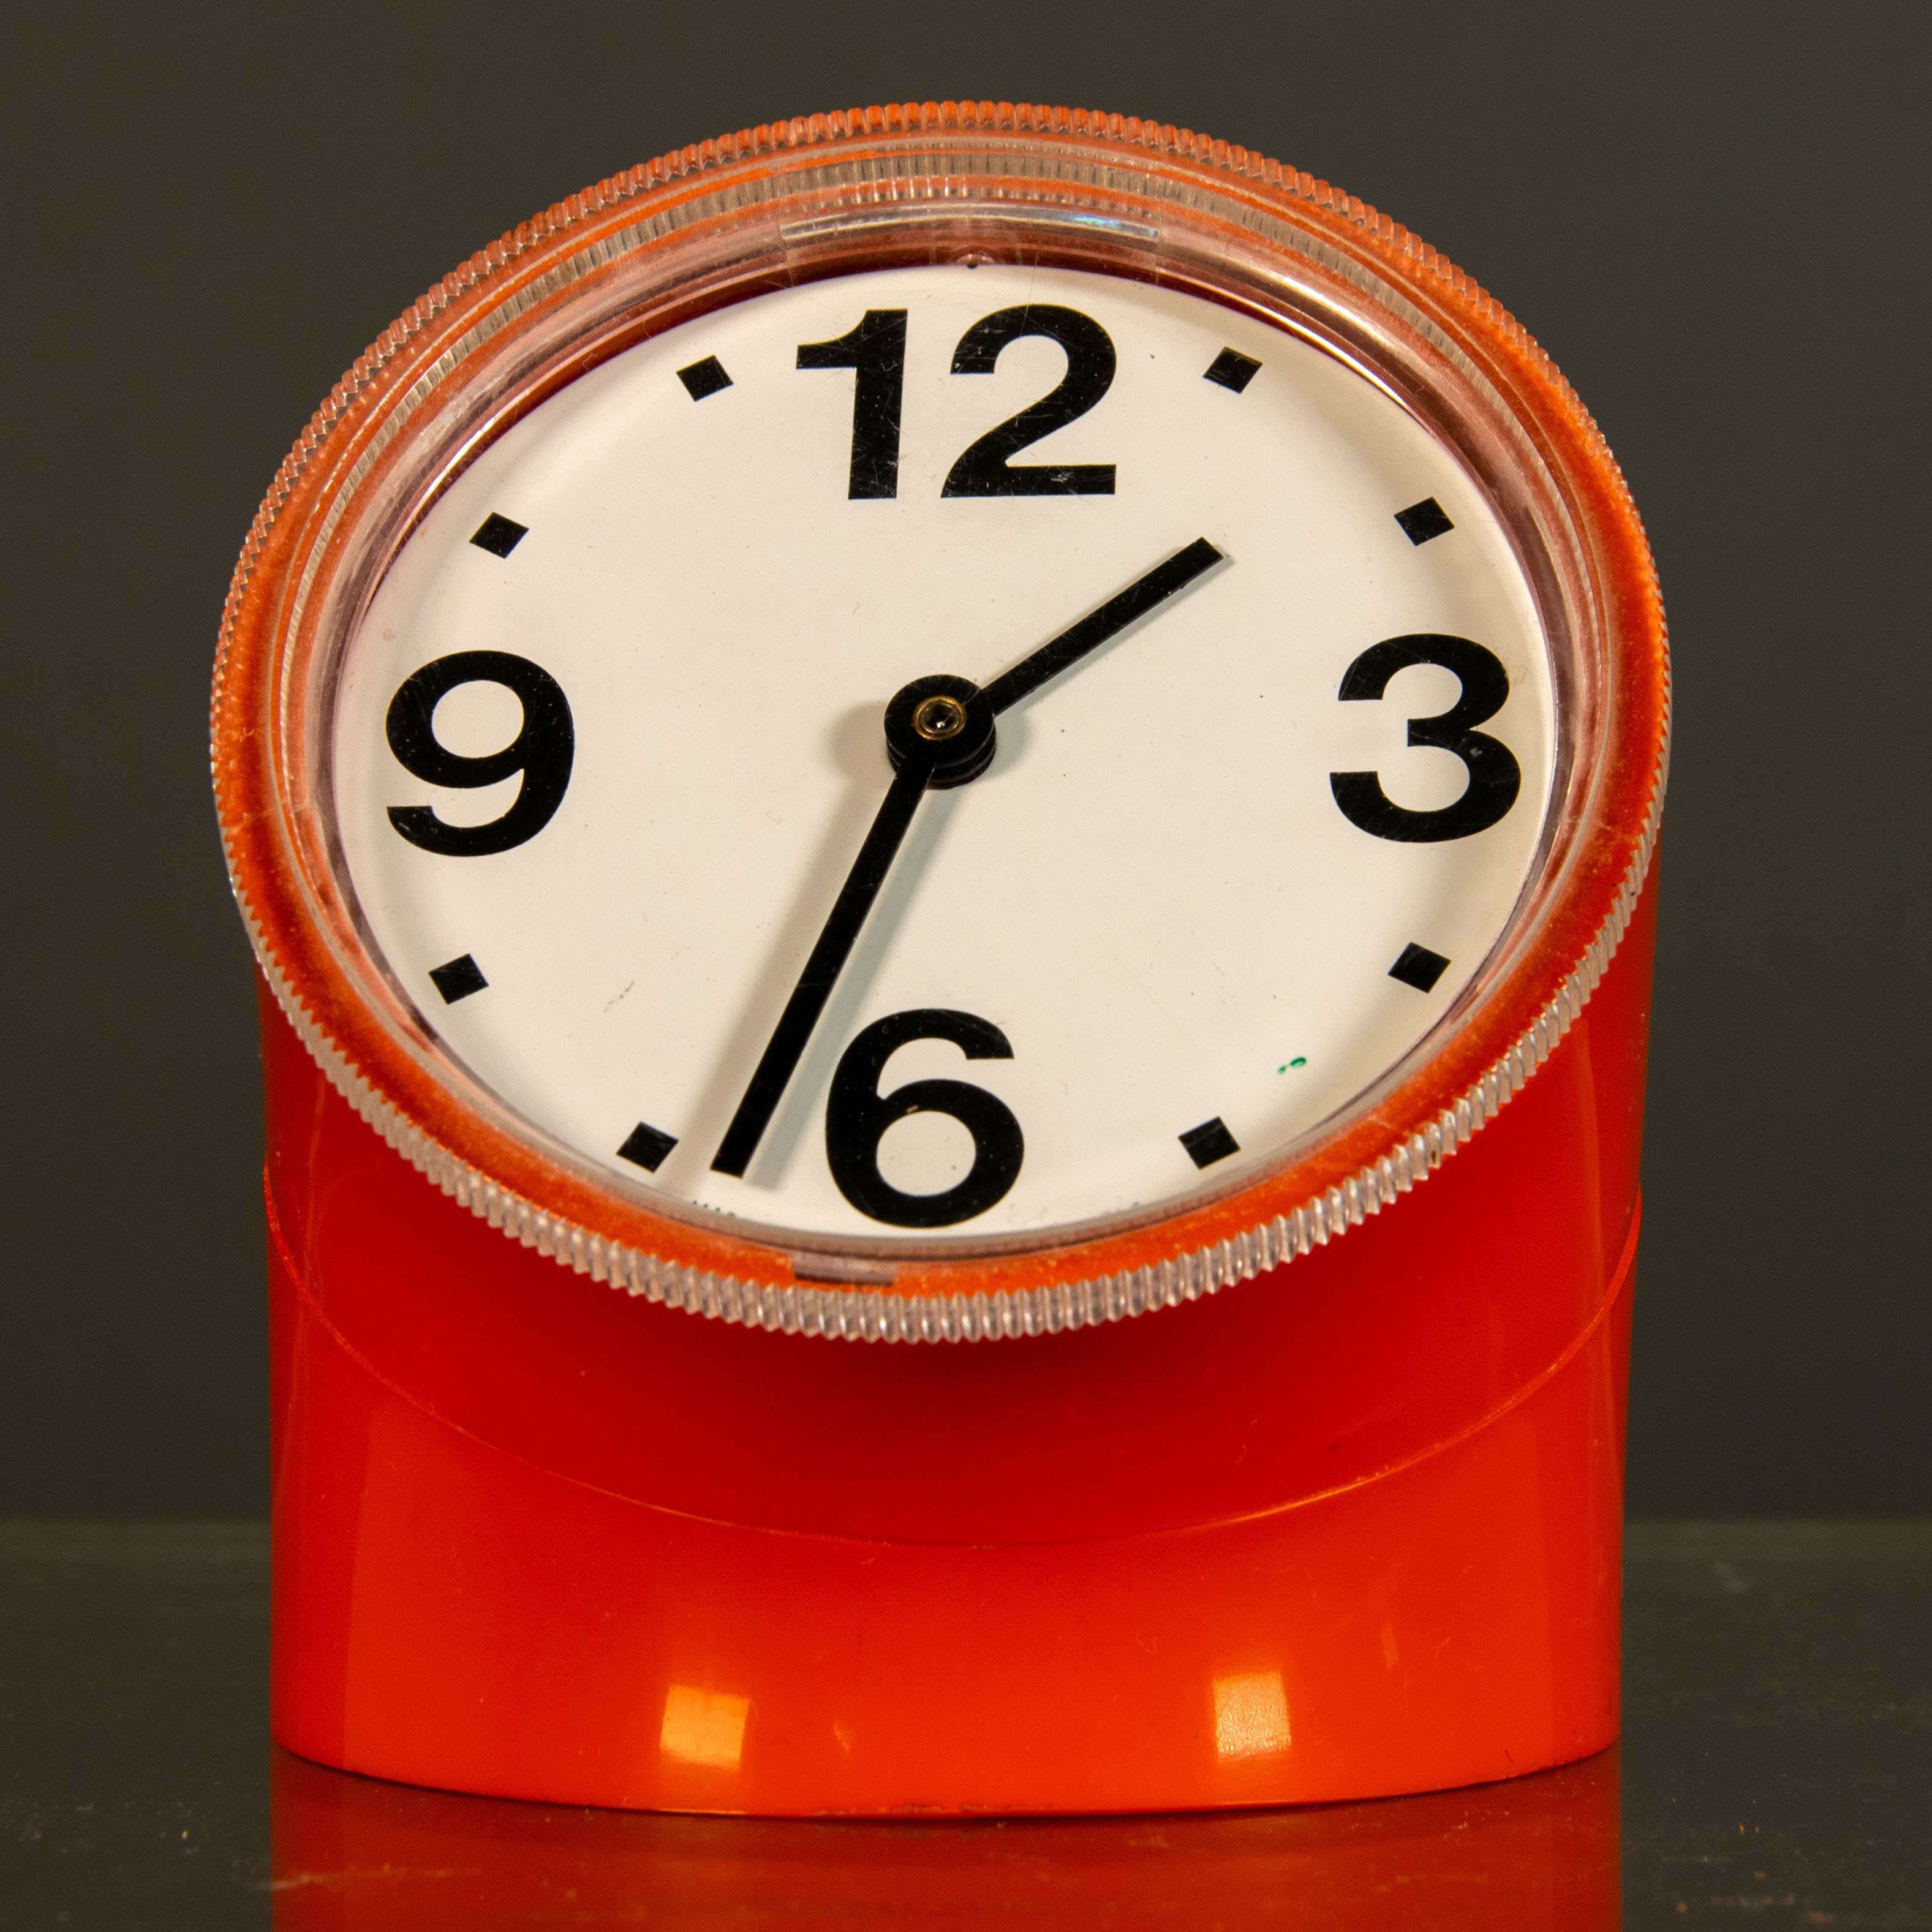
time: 1:33
